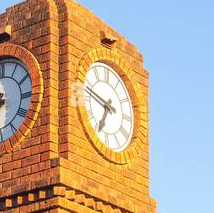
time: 6:47
